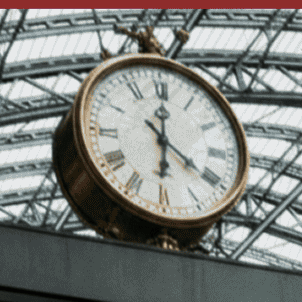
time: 6:00
